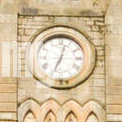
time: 12:34
